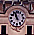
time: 10:56
